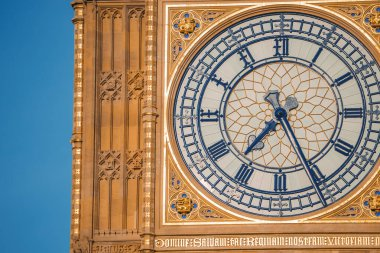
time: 7:25
